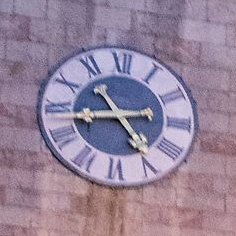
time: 10:43
